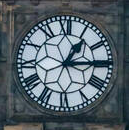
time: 1:14
